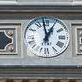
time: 12:58
